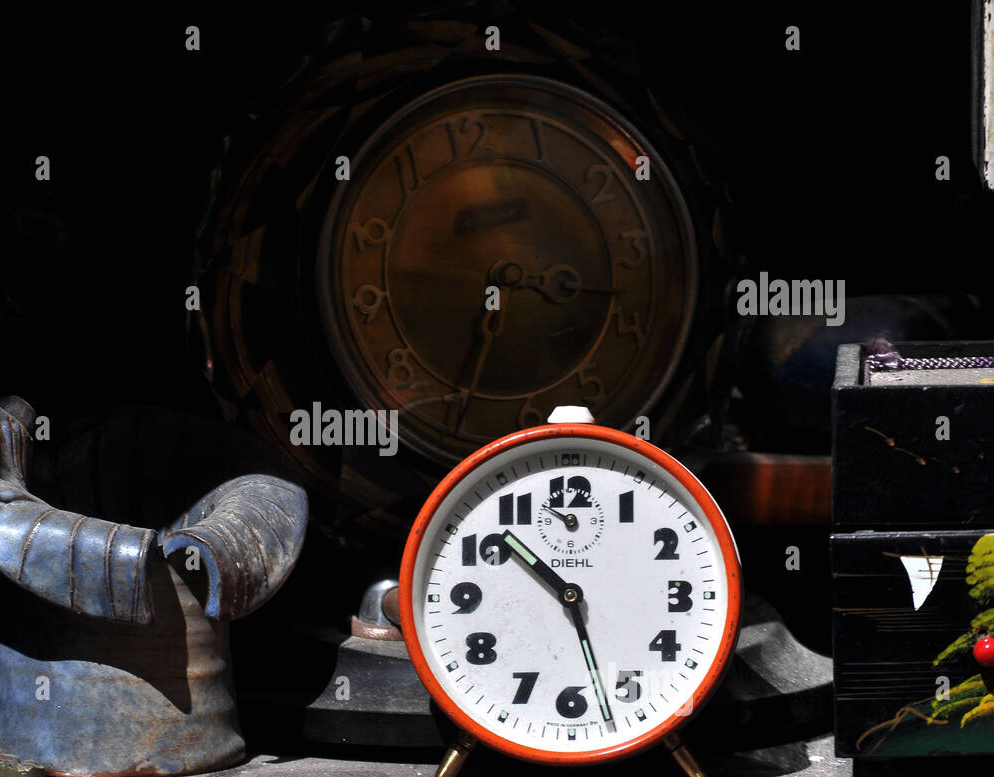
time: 3:34
